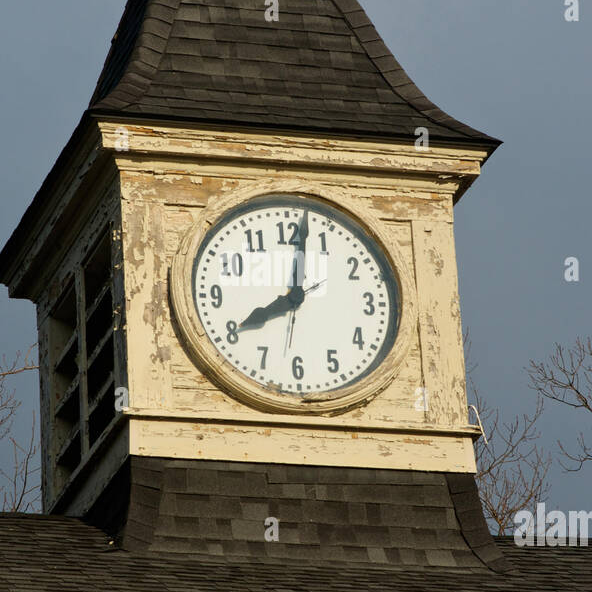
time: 8:01
